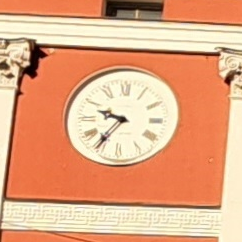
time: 9:35
